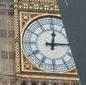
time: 12:14
